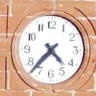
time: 4:37
